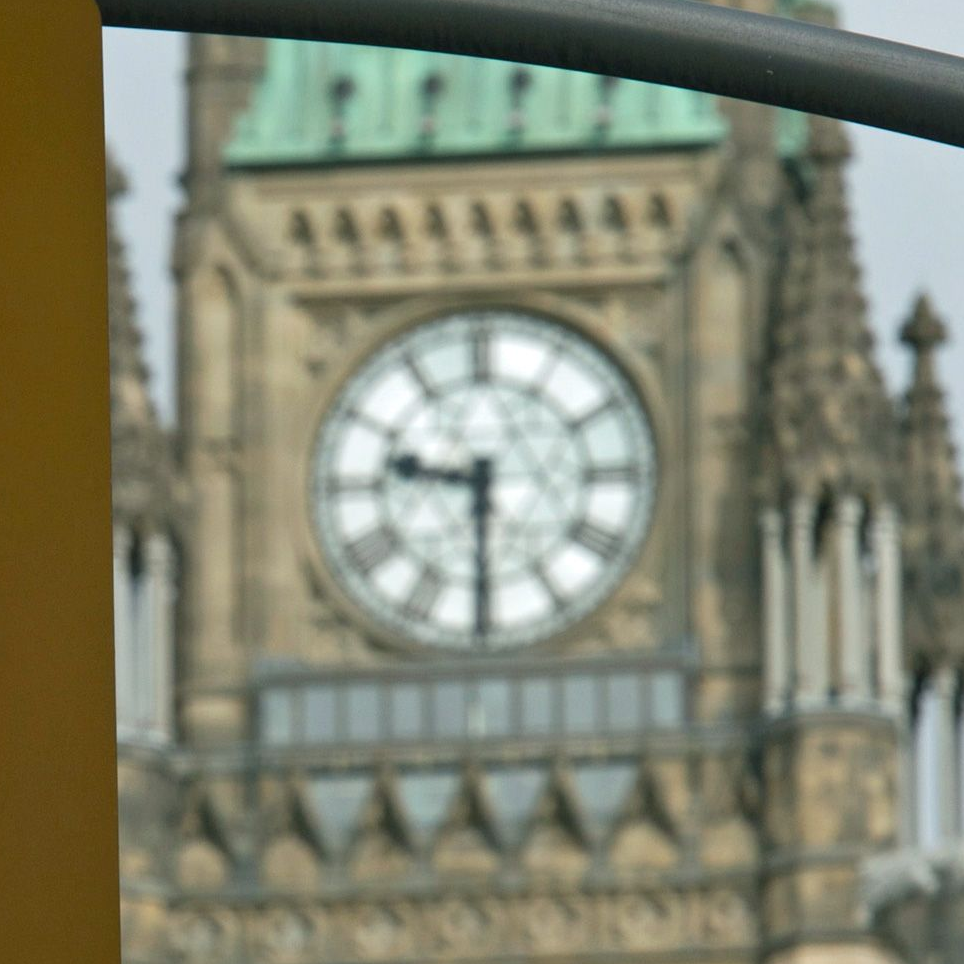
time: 9:30
